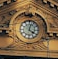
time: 4:02
